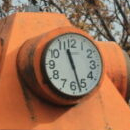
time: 11:27
